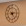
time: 5:14
